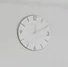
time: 12:10
